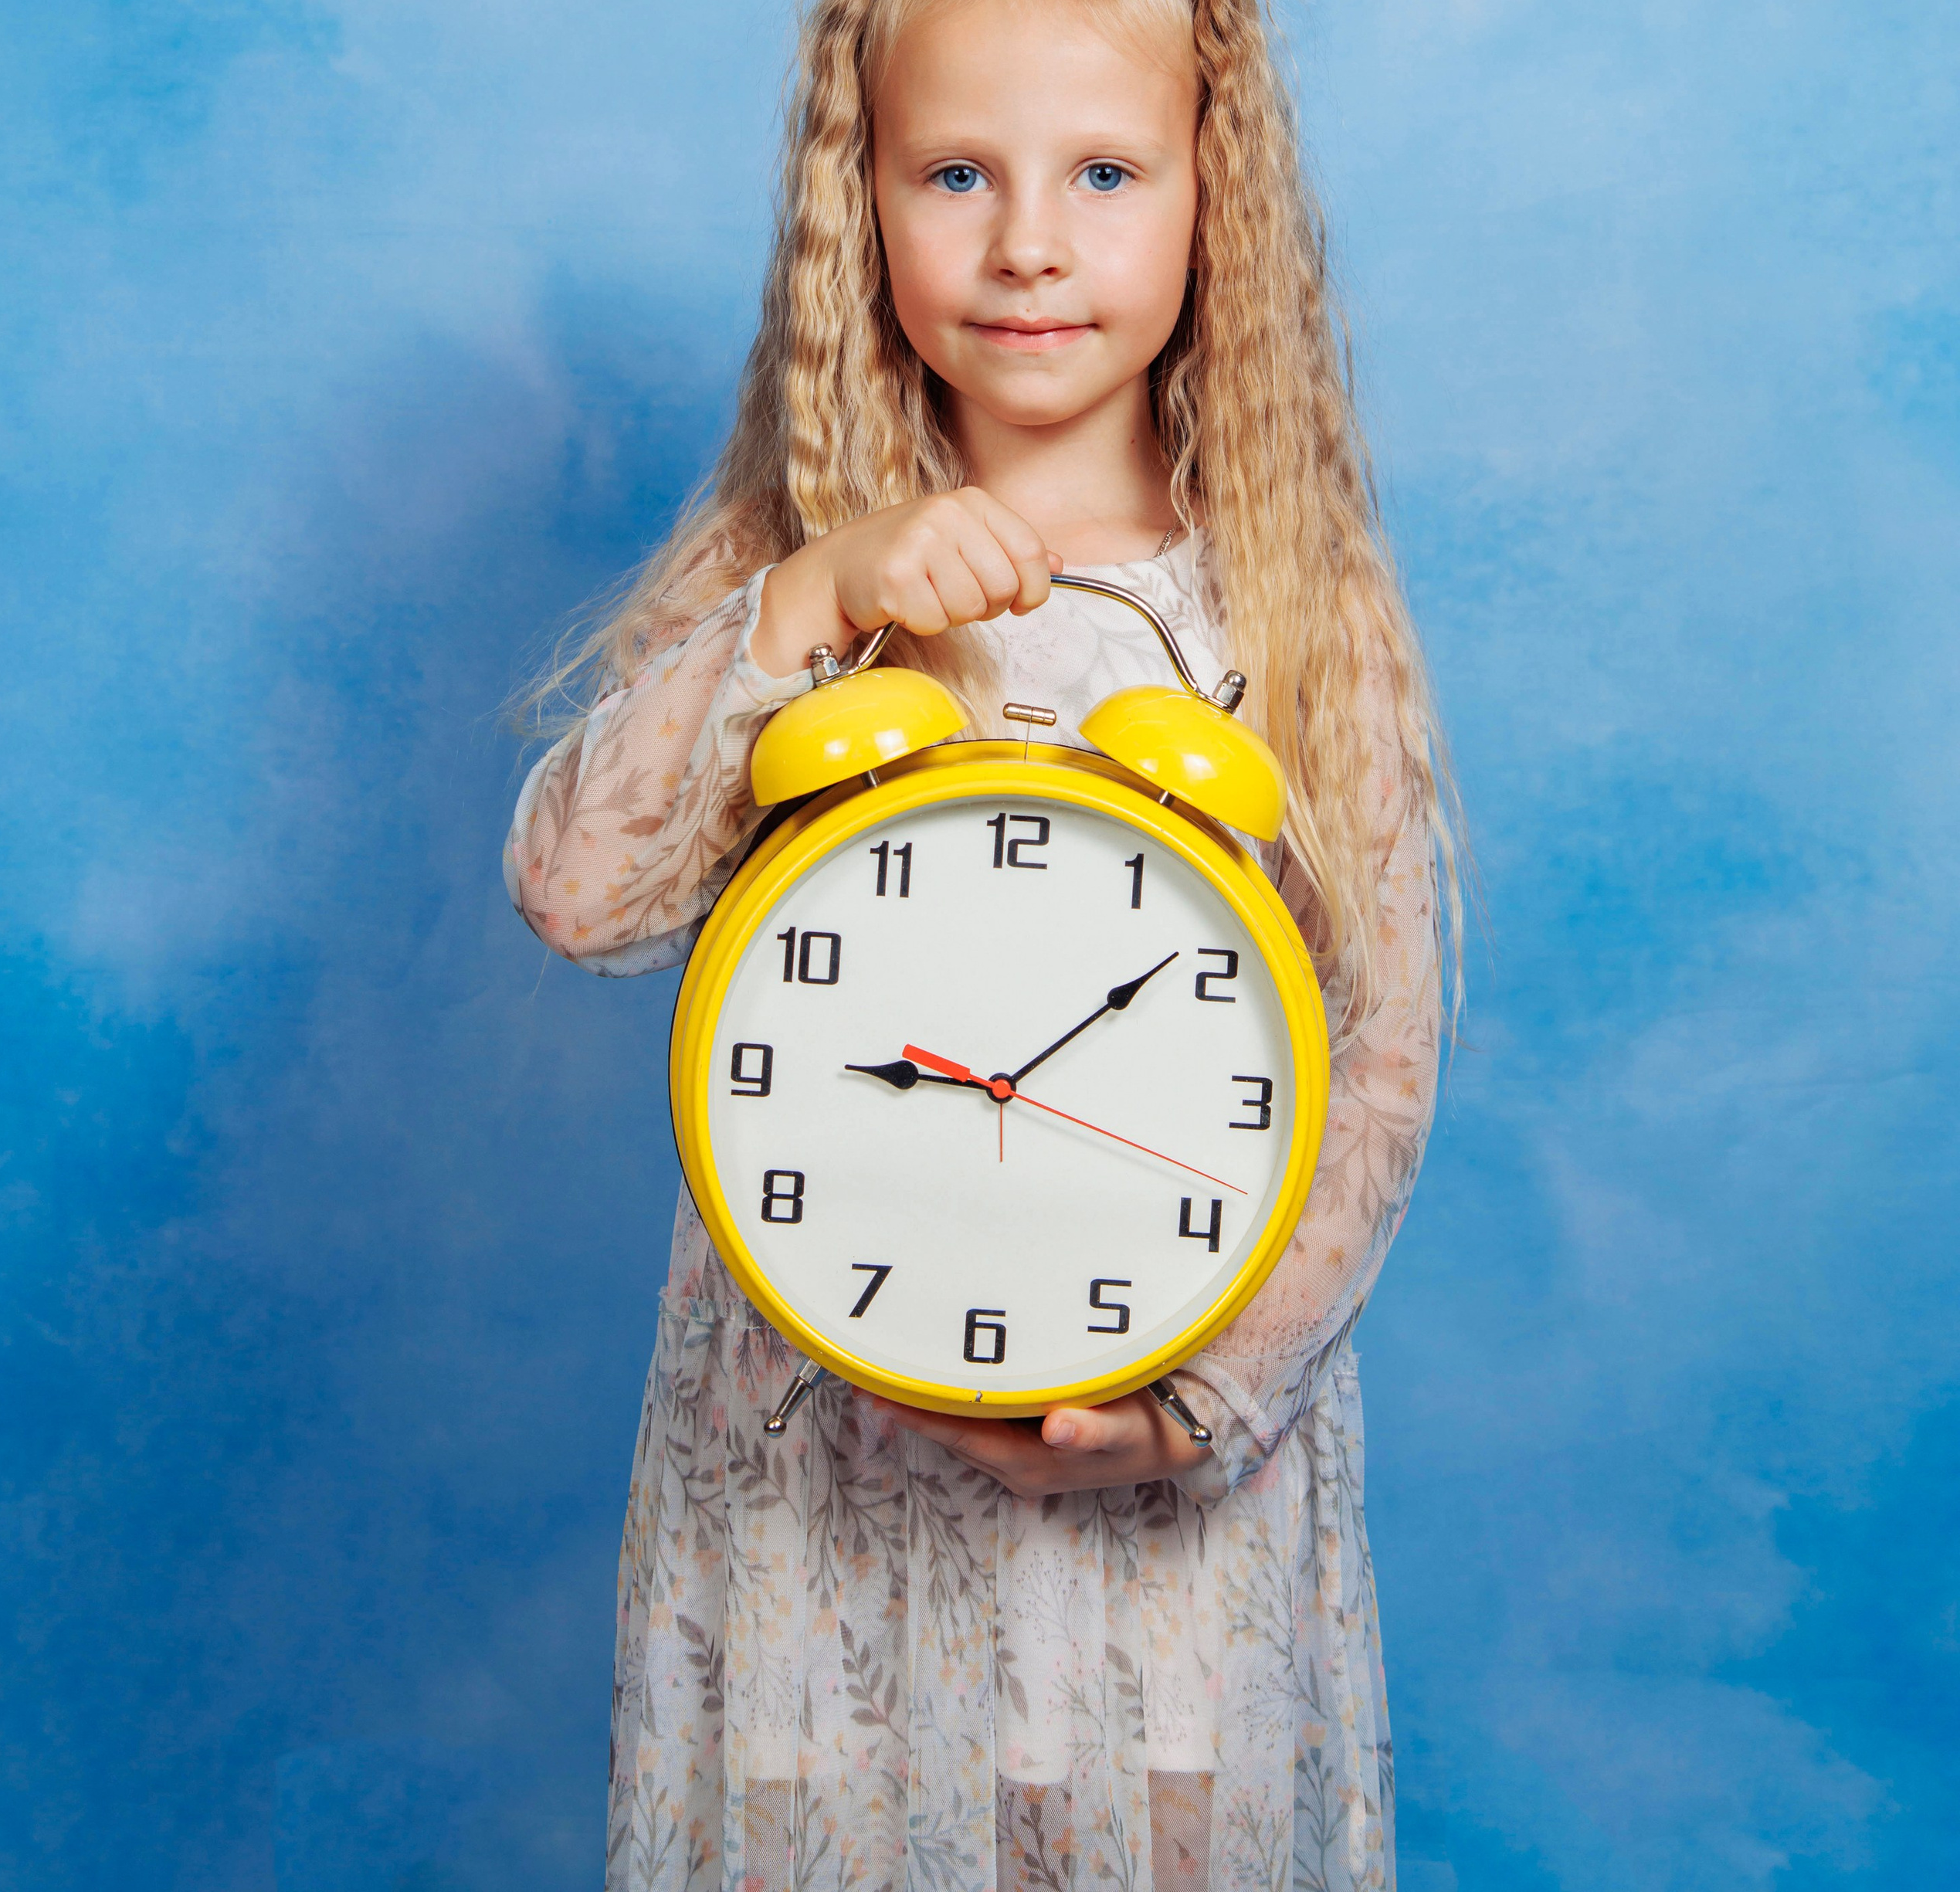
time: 9:08
